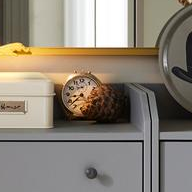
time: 8:37
